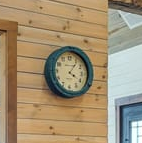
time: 4:06
